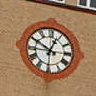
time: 12:49
